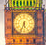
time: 5:33
